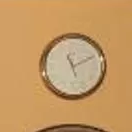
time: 11:10
